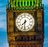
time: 7:31
